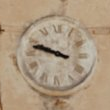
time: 9:47
